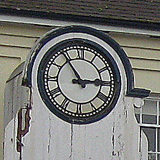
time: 2:54
